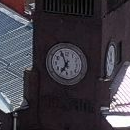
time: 6:56
